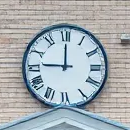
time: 9:00
